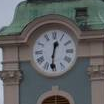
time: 12:31
